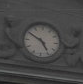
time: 4:50
